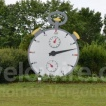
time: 2:12
